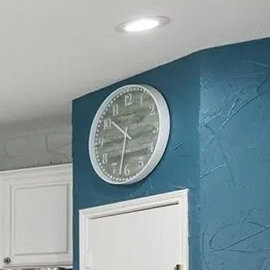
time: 10:32
